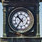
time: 10:36
